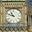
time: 10:48
